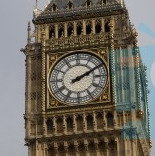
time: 2:10
